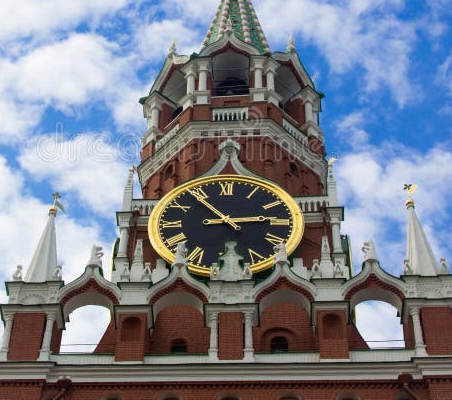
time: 2:53
